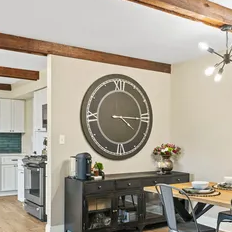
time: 4:15
